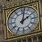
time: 2:02
